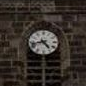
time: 4:42
